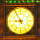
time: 8:54
